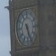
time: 5:26
